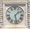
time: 1:28
